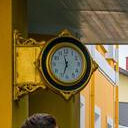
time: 11:33
